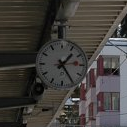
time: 1:24
